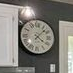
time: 4:07
